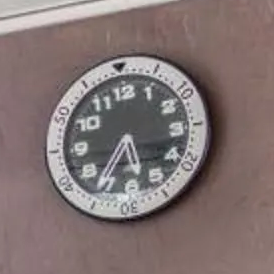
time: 5:36
